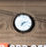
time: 7:11
